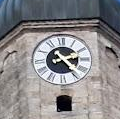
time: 2:23
